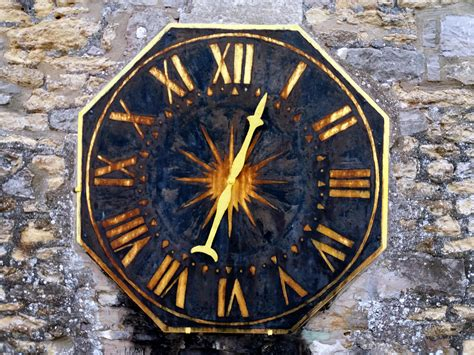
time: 12:33
